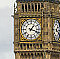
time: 1:18
